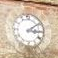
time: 3:09
